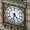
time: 4:32
